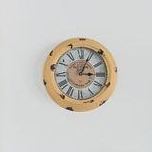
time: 3:04
